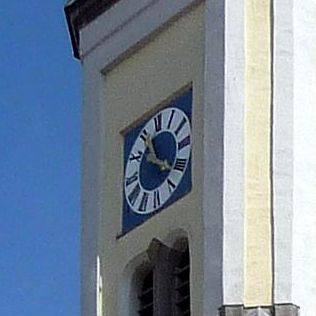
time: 11:21
